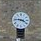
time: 3:46
